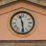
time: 11:29
